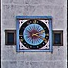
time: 2:18
